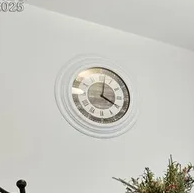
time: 4:01
